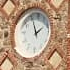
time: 1:56
